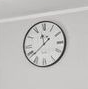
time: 11:38
